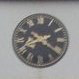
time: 8:20
